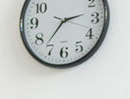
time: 2:36
